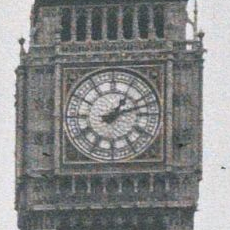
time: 1:12
